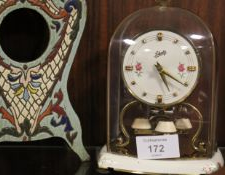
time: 5:20
